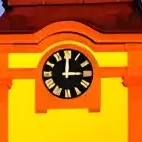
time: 3:00
